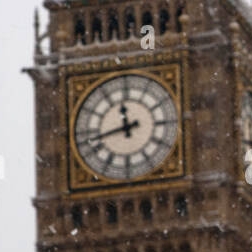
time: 11:42
